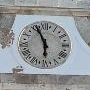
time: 5:55
